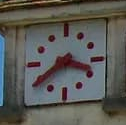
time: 3:39
